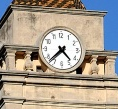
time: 4:37
